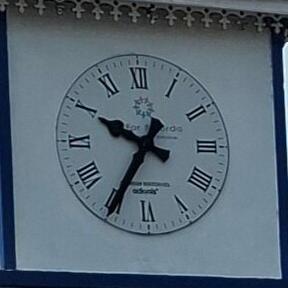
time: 9:35
